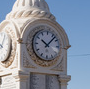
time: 10:07
